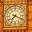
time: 7:18
